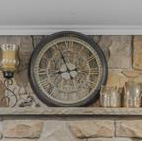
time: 8:56
